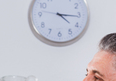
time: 4:15
